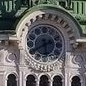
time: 5:40
